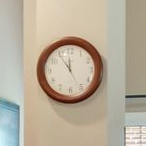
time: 11:54
